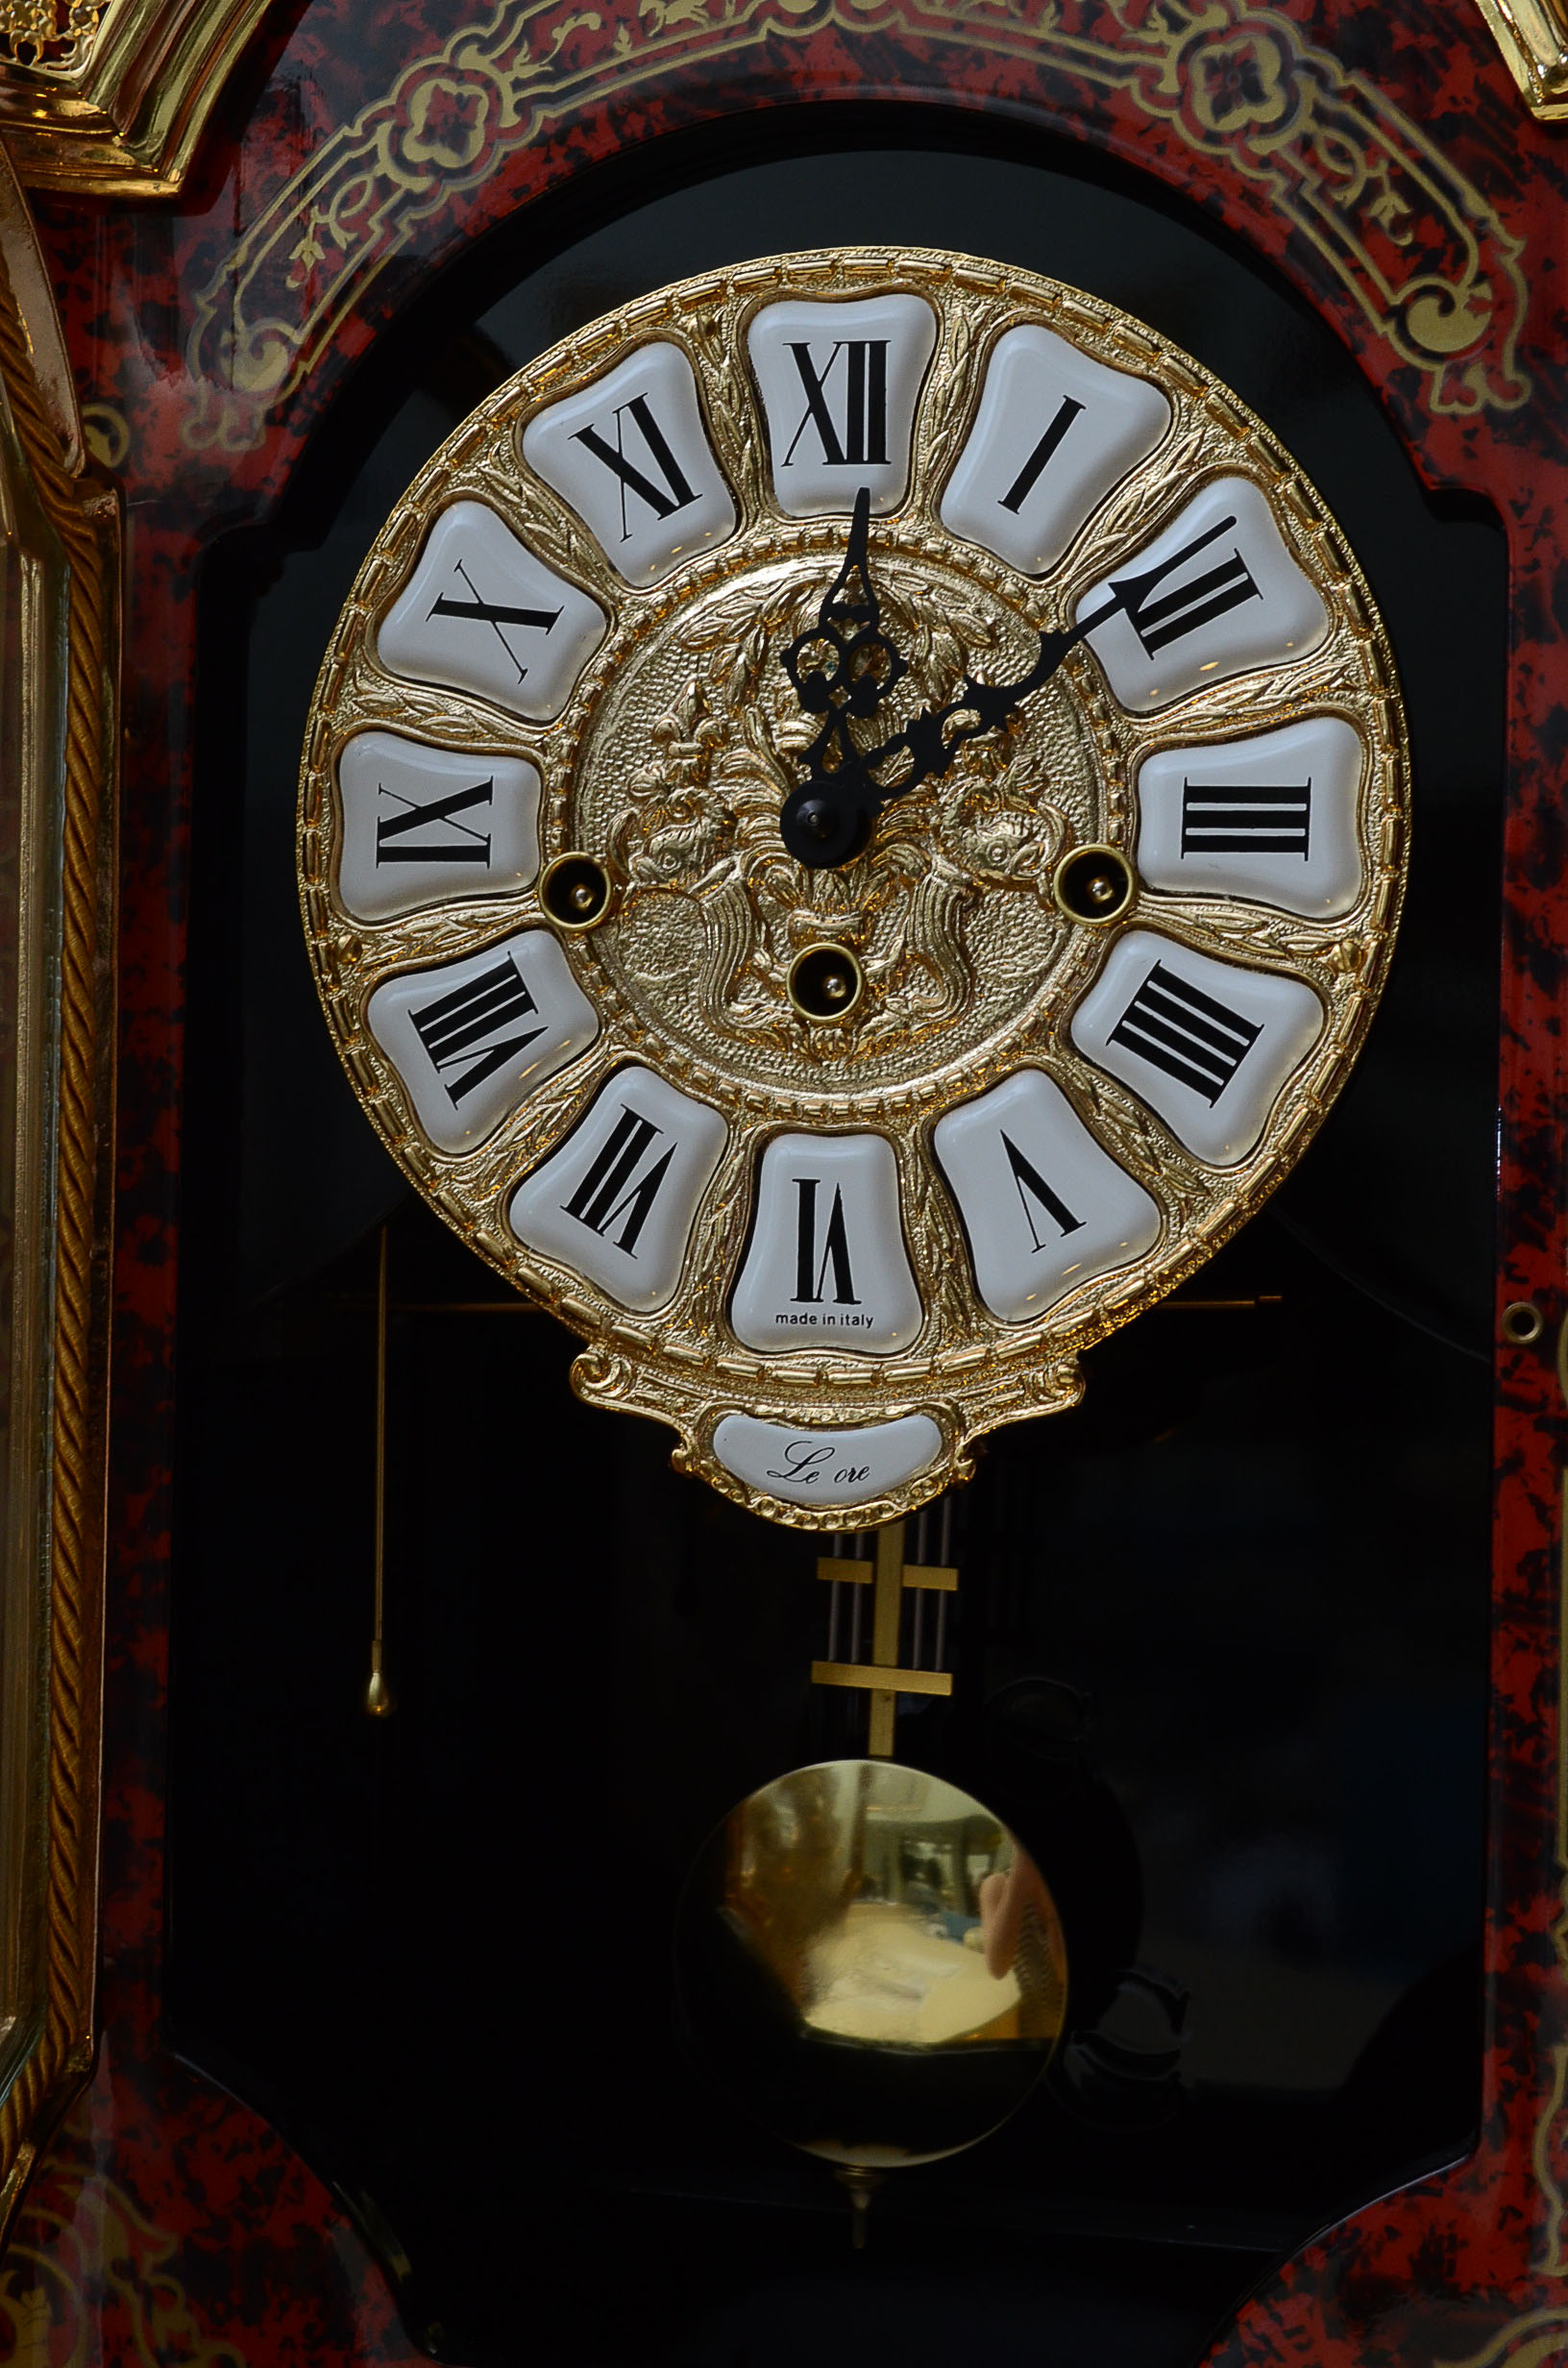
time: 12:07
